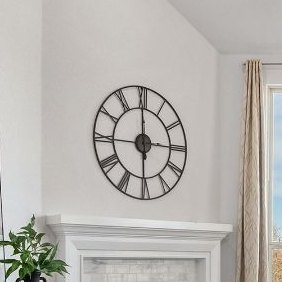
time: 2:59
